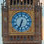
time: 6:33
